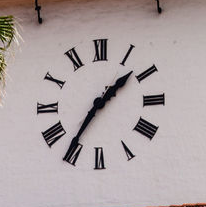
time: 1:35
